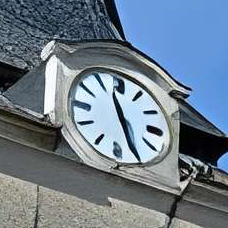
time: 11:26
